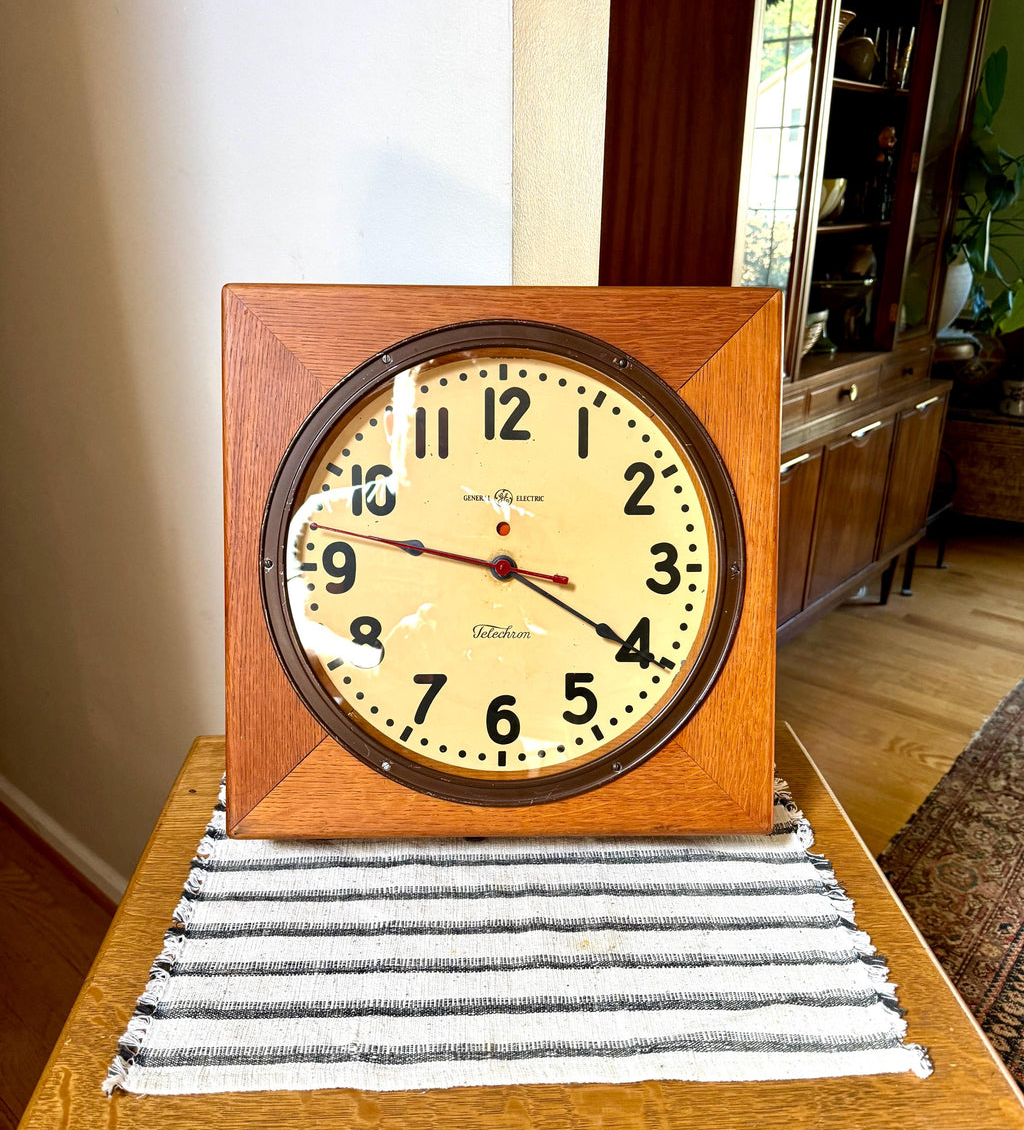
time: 9:20
